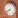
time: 7:37
